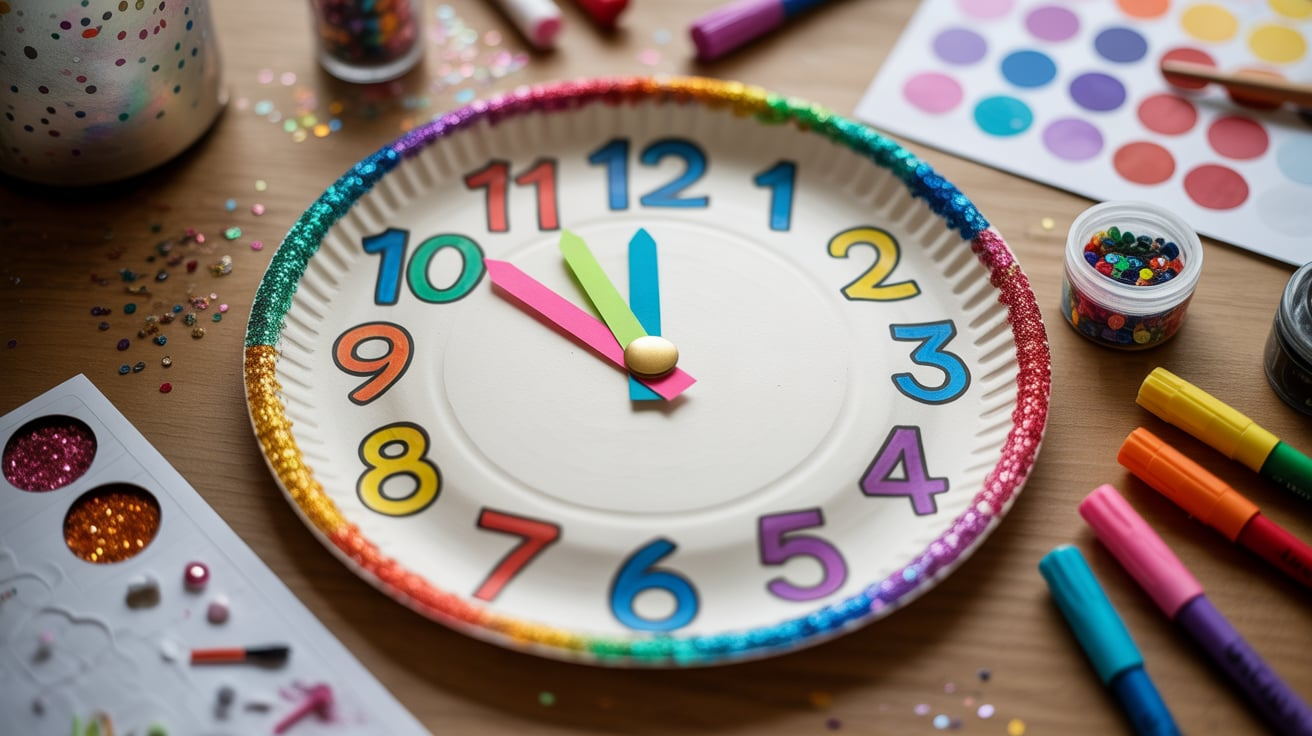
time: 11:51
